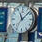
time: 11:07
